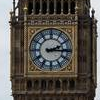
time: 2:15
